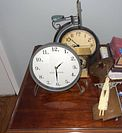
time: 1:30
